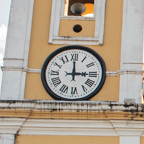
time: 3:00
